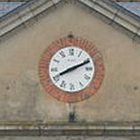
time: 8:11
